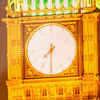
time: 7:30
